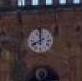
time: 7:59
